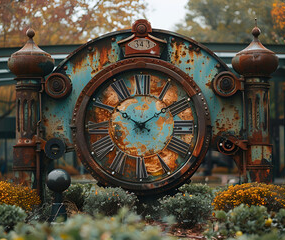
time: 1:50
